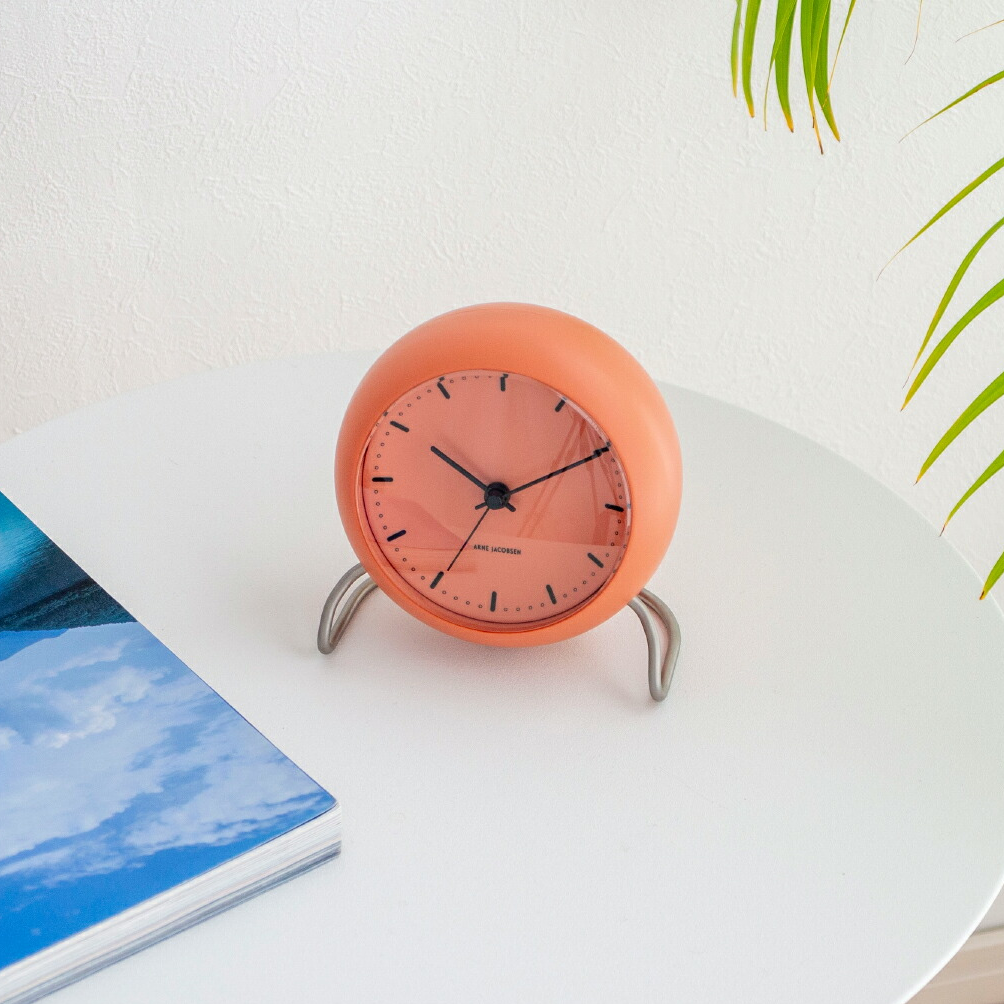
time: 10:10
